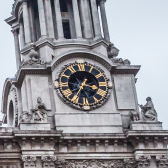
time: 3:35
